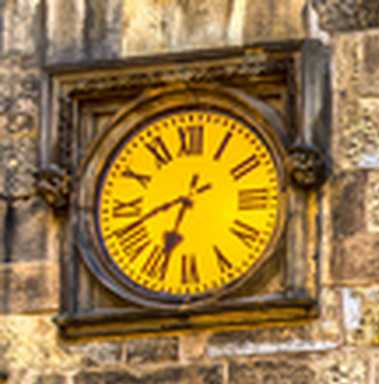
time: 6:41
